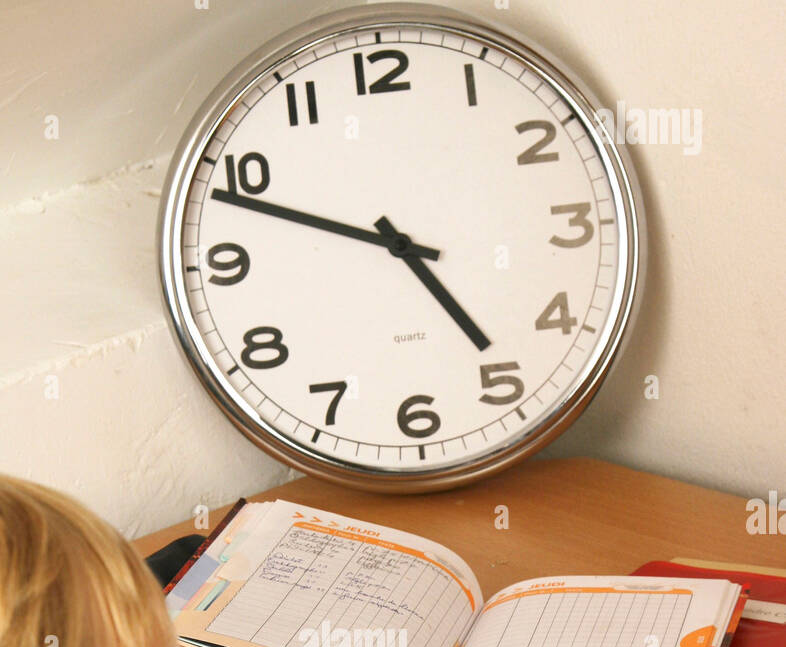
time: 4:48
